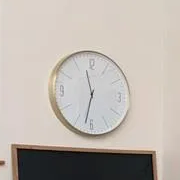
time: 11:32
